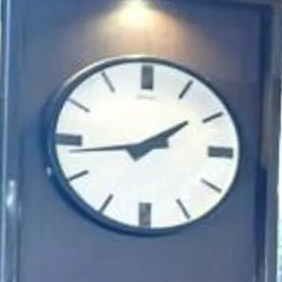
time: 1:43
